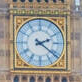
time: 2:21
